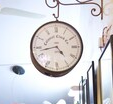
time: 4:42
